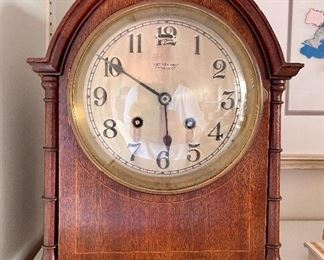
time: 5:50
